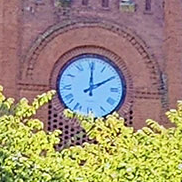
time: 2:00
